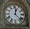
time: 12:23
